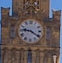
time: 9:20
